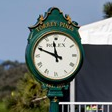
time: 11:48
